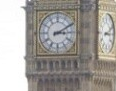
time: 3:10
